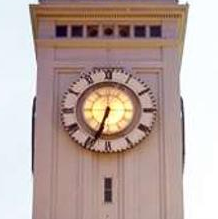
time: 6:33
